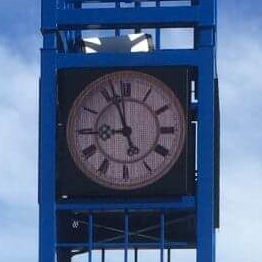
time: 8:56
